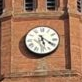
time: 5:20
